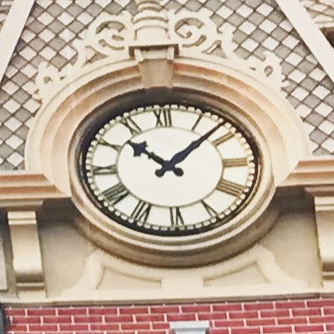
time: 10:07
